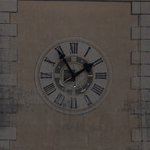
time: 1:54
